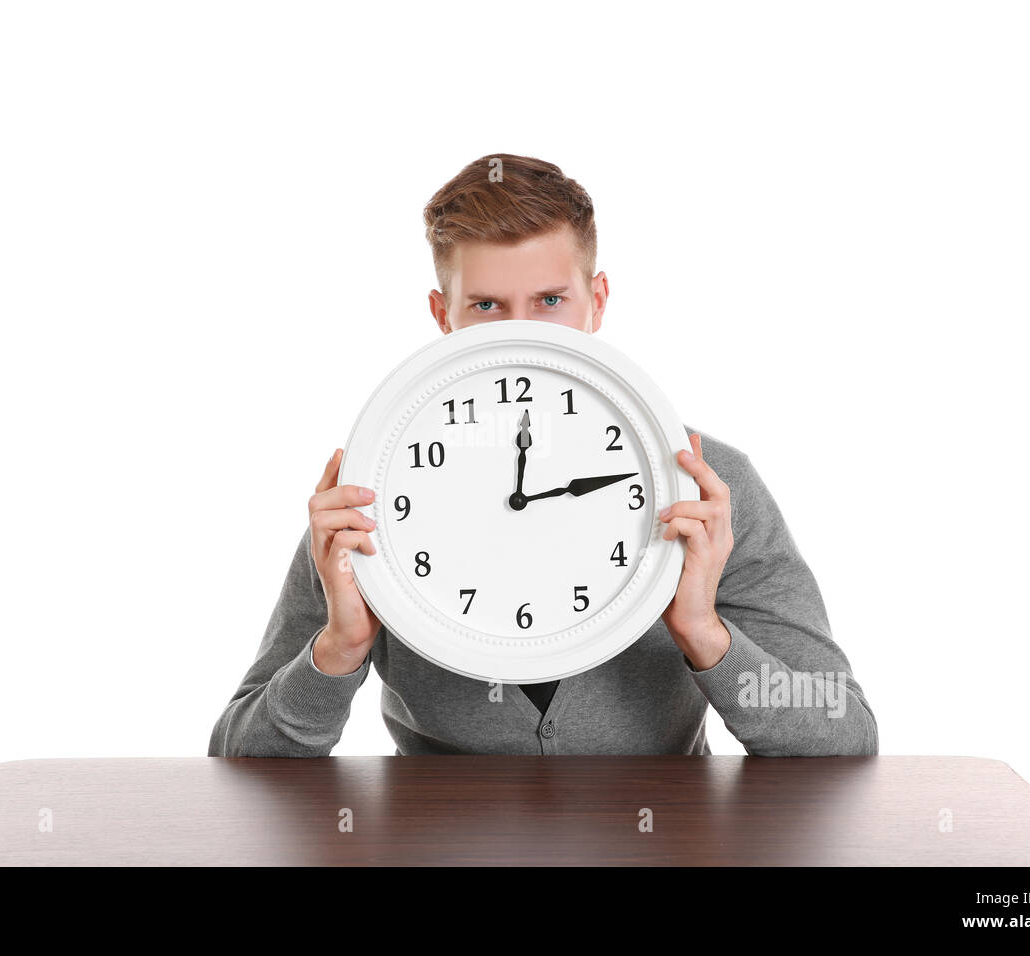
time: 12:13
